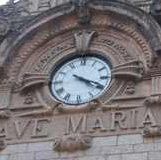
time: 4:19
